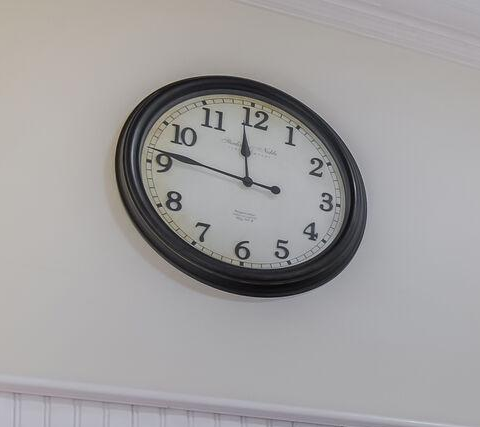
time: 11:46
